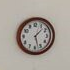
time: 1:27
